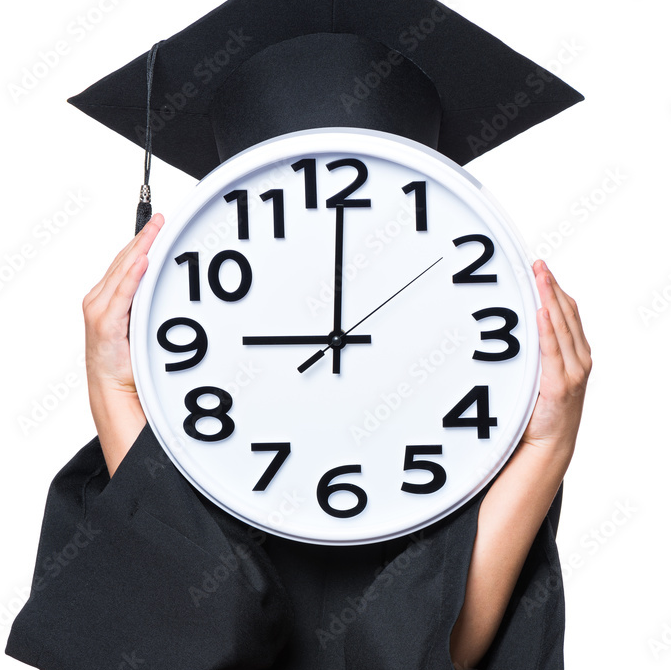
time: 9:00
